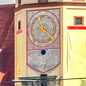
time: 11:21
